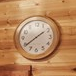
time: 1:39
